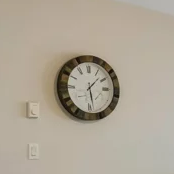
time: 1:28
